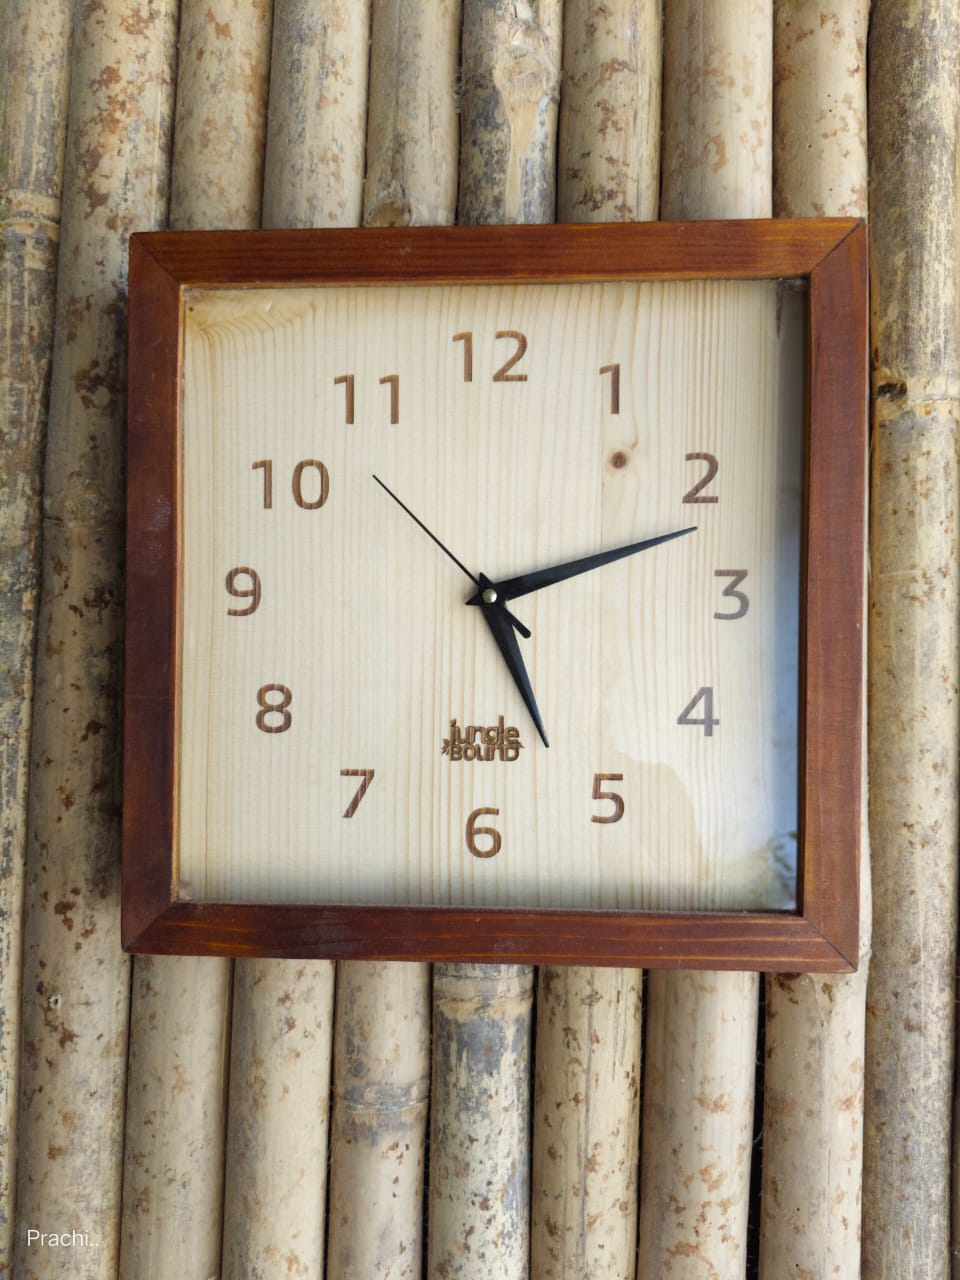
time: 5:11
